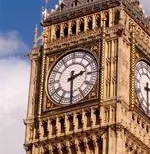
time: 2:30
